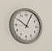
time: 10:04
